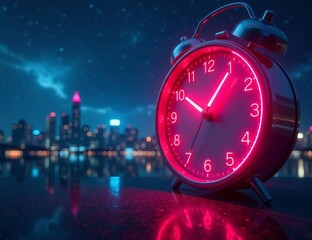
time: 10:05
